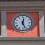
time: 12:26
